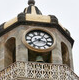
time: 3:40
